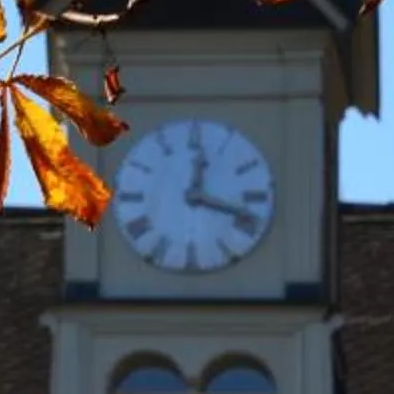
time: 12:18
